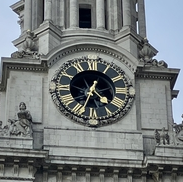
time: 4:33
